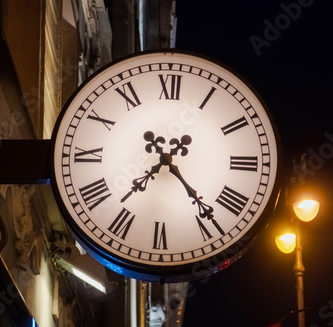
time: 7:23
